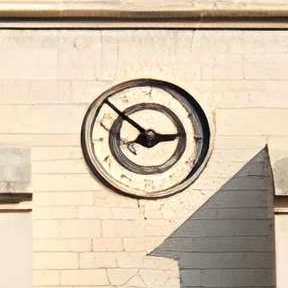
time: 2:51
